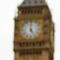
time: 5:00
